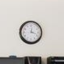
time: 12:18
